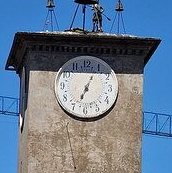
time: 7:04
